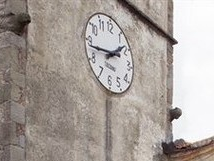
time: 1:43
